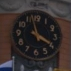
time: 3:57
